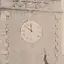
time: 11:50
